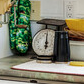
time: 5:59
